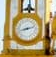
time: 8:12
